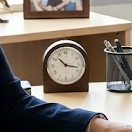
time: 10:17
